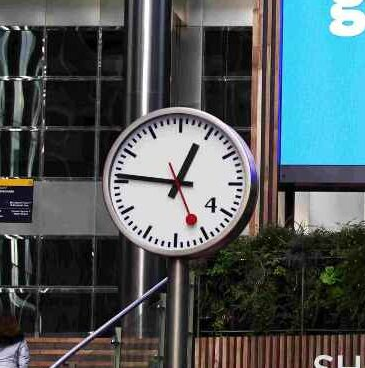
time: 12:46
